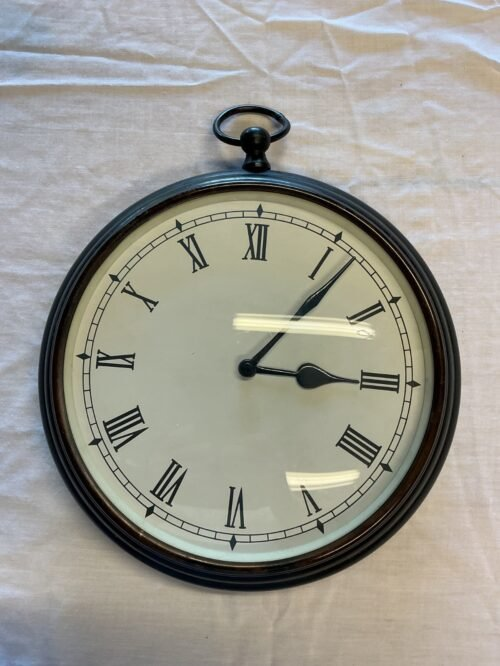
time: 3:06
